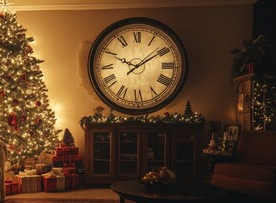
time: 1:49
